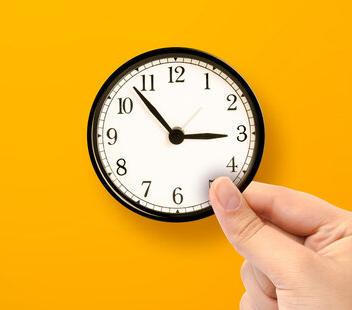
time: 2:53
